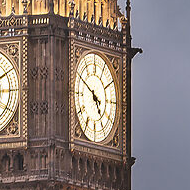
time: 4:49
